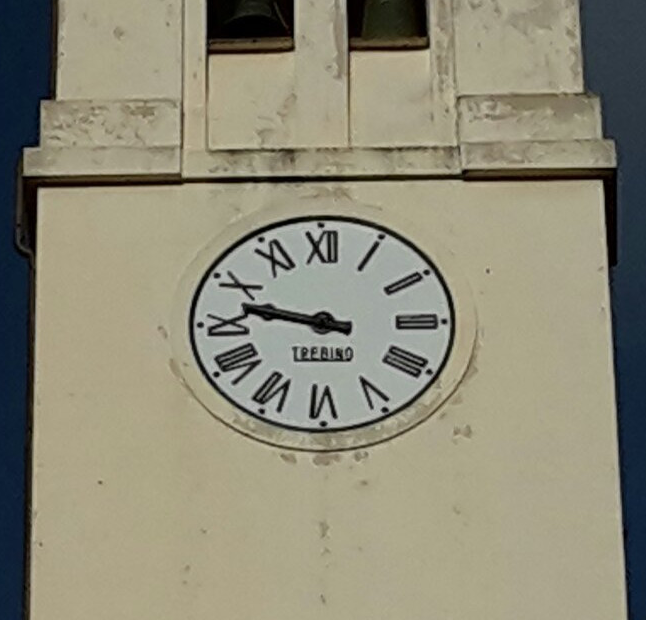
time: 9:47
